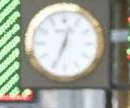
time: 12:34
